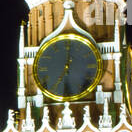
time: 7:01
